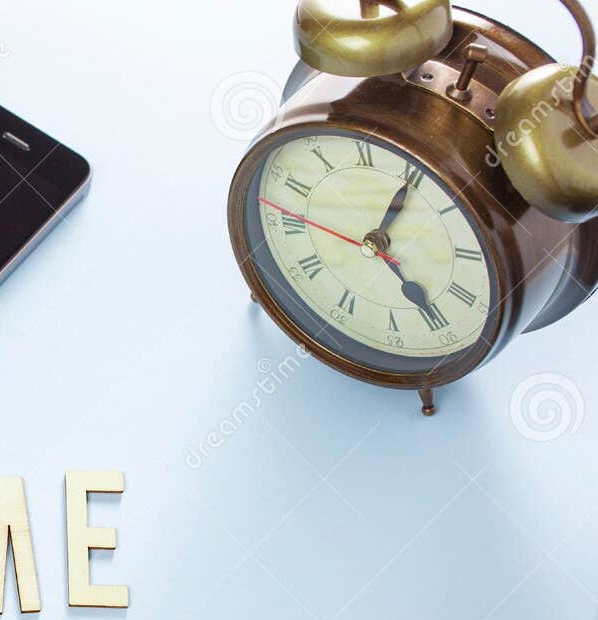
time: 5:05
